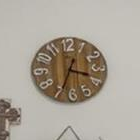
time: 3:34
